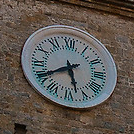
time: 5:40
